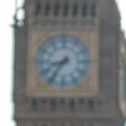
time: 8:36
